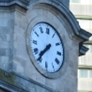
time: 7:36
